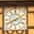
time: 8:11
